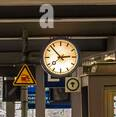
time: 2:53
